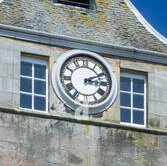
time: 3:10
